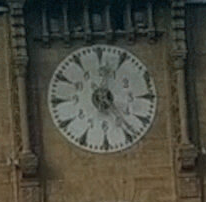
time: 12:23
